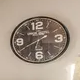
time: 9:40
